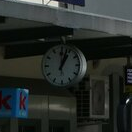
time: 1:02
